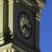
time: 7:17
